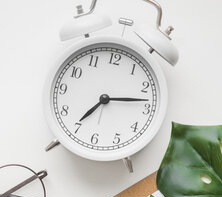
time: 7:13
